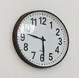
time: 9:29
